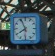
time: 7:55
